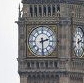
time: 2:29
